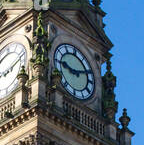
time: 9:12
